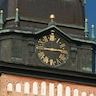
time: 2:45
